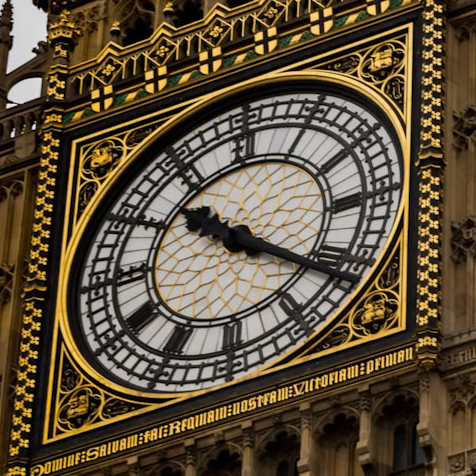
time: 10:20
